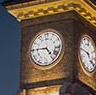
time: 4:45
